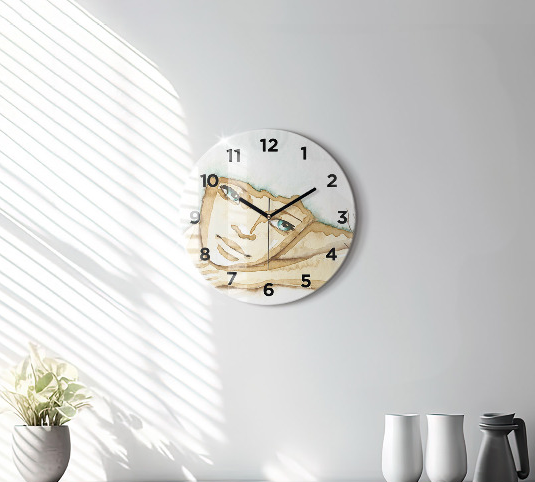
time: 1:50
